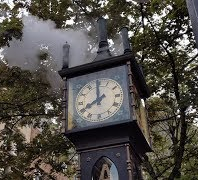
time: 7:59
